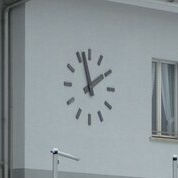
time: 1:57
